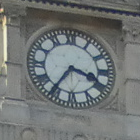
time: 3:36
